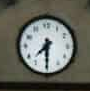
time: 7:30
